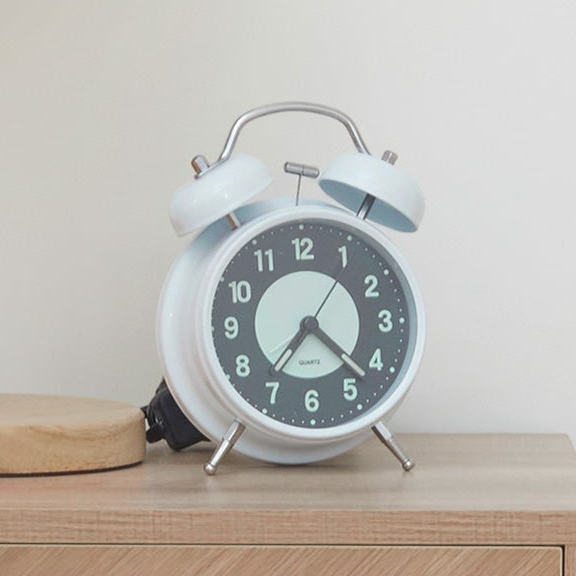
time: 7:22
